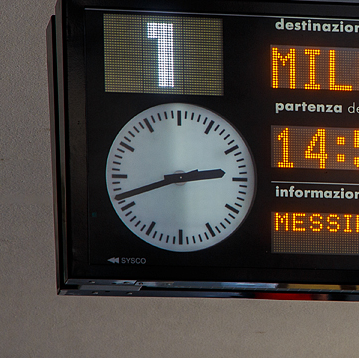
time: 2:42
